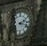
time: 2:18
